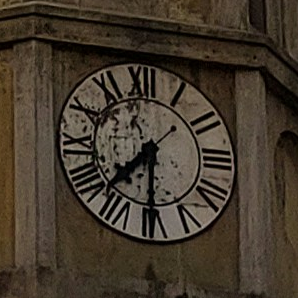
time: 7:30
